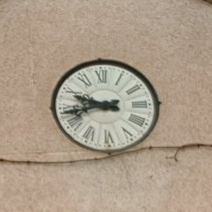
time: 9:42
